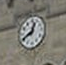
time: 12:40
